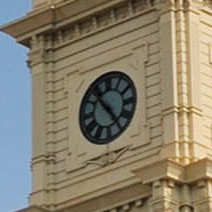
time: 10:23
